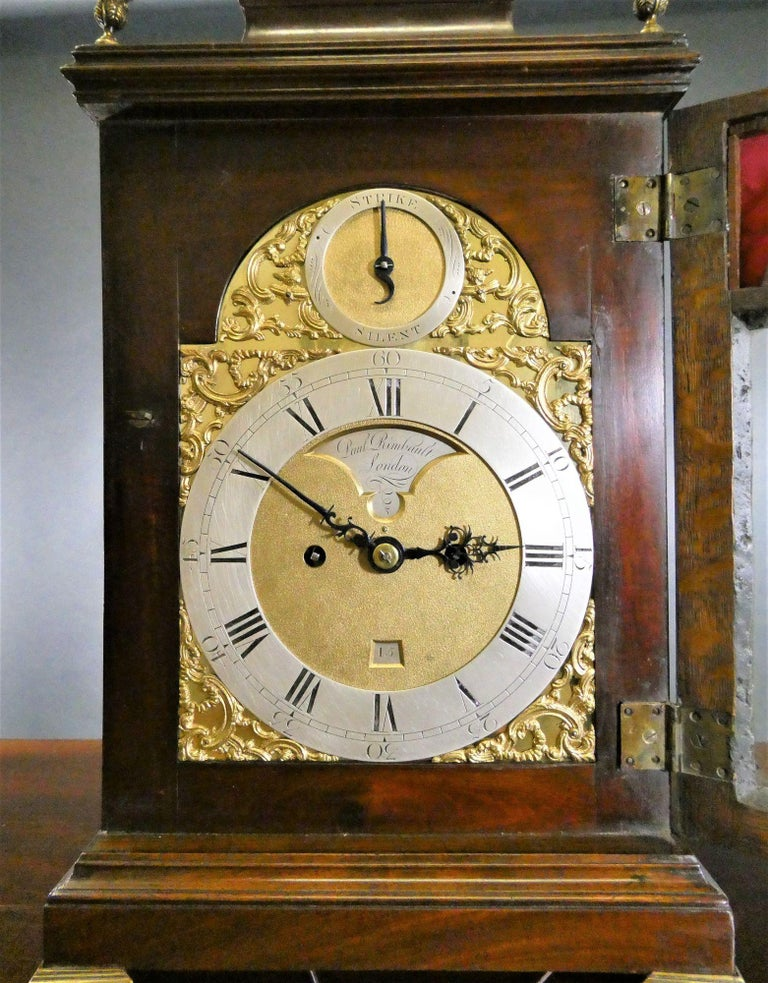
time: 2:50
